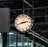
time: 2:42
